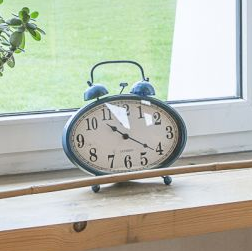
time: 10:21
